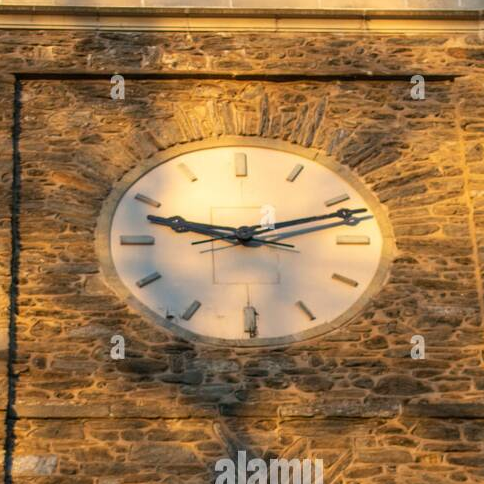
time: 9:12
